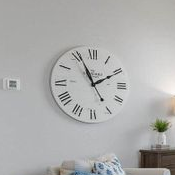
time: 1:56
